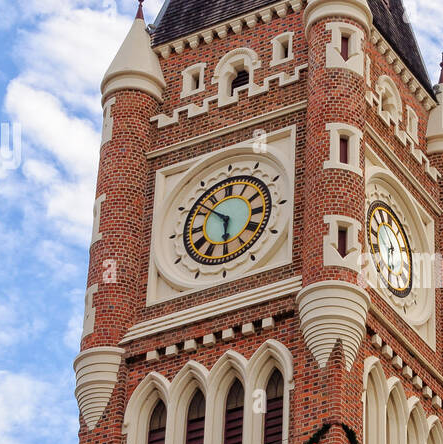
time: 5:51
